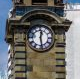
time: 12:28
